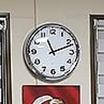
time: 11:11
